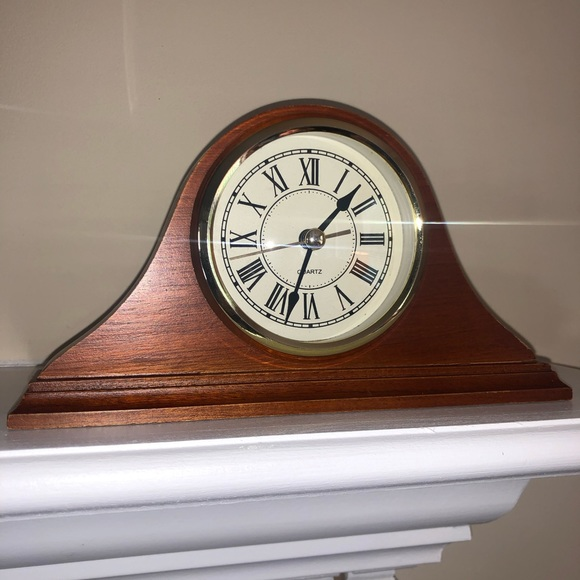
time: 1:33
